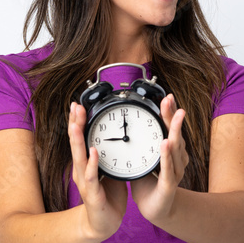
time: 9:00
